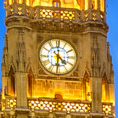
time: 4:31
